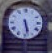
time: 5:28
